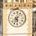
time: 5:35
